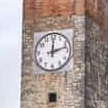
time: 12:12
